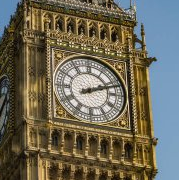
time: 2:11
